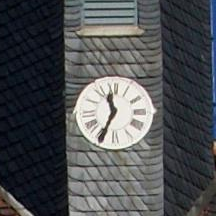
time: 11:34
